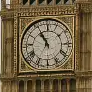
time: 10:55
